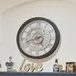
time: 4:42
